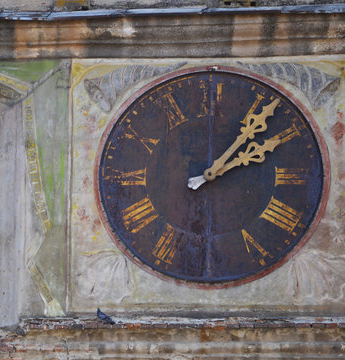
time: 2:06
